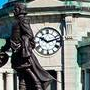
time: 10:12
